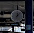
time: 12:07
